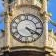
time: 4:19
